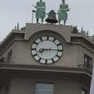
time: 8:15
